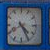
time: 4:25
